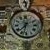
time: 7:32
